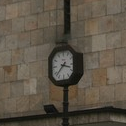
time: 3:37
